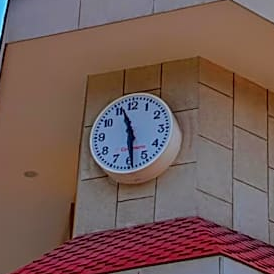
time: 11:29
